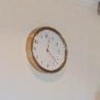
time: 12:22
